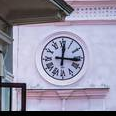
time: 12:16
